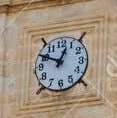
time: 12:50
